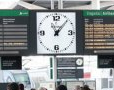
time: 11:07
